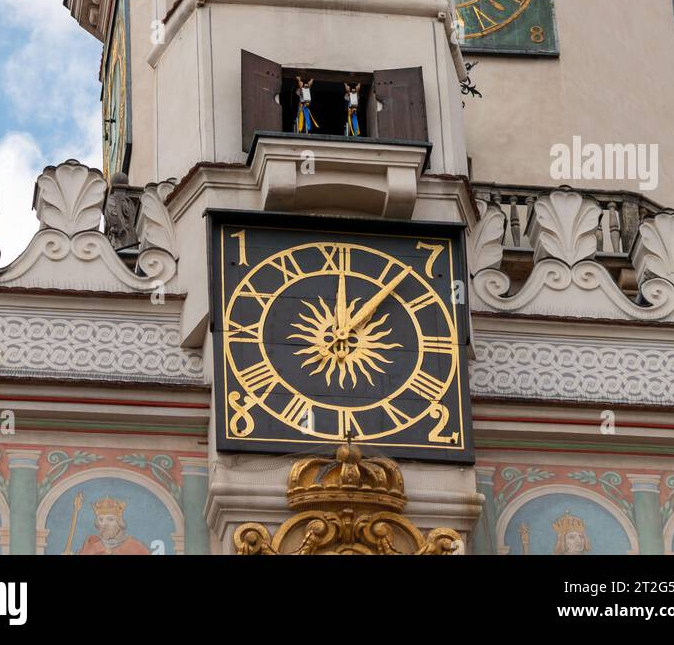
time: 12:06
